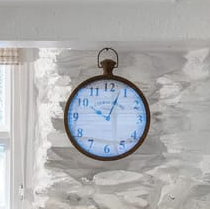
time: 10:03
